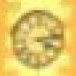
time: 4:13
